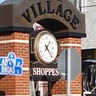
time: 1:22
